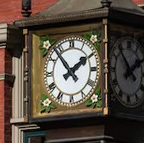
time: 1:53
